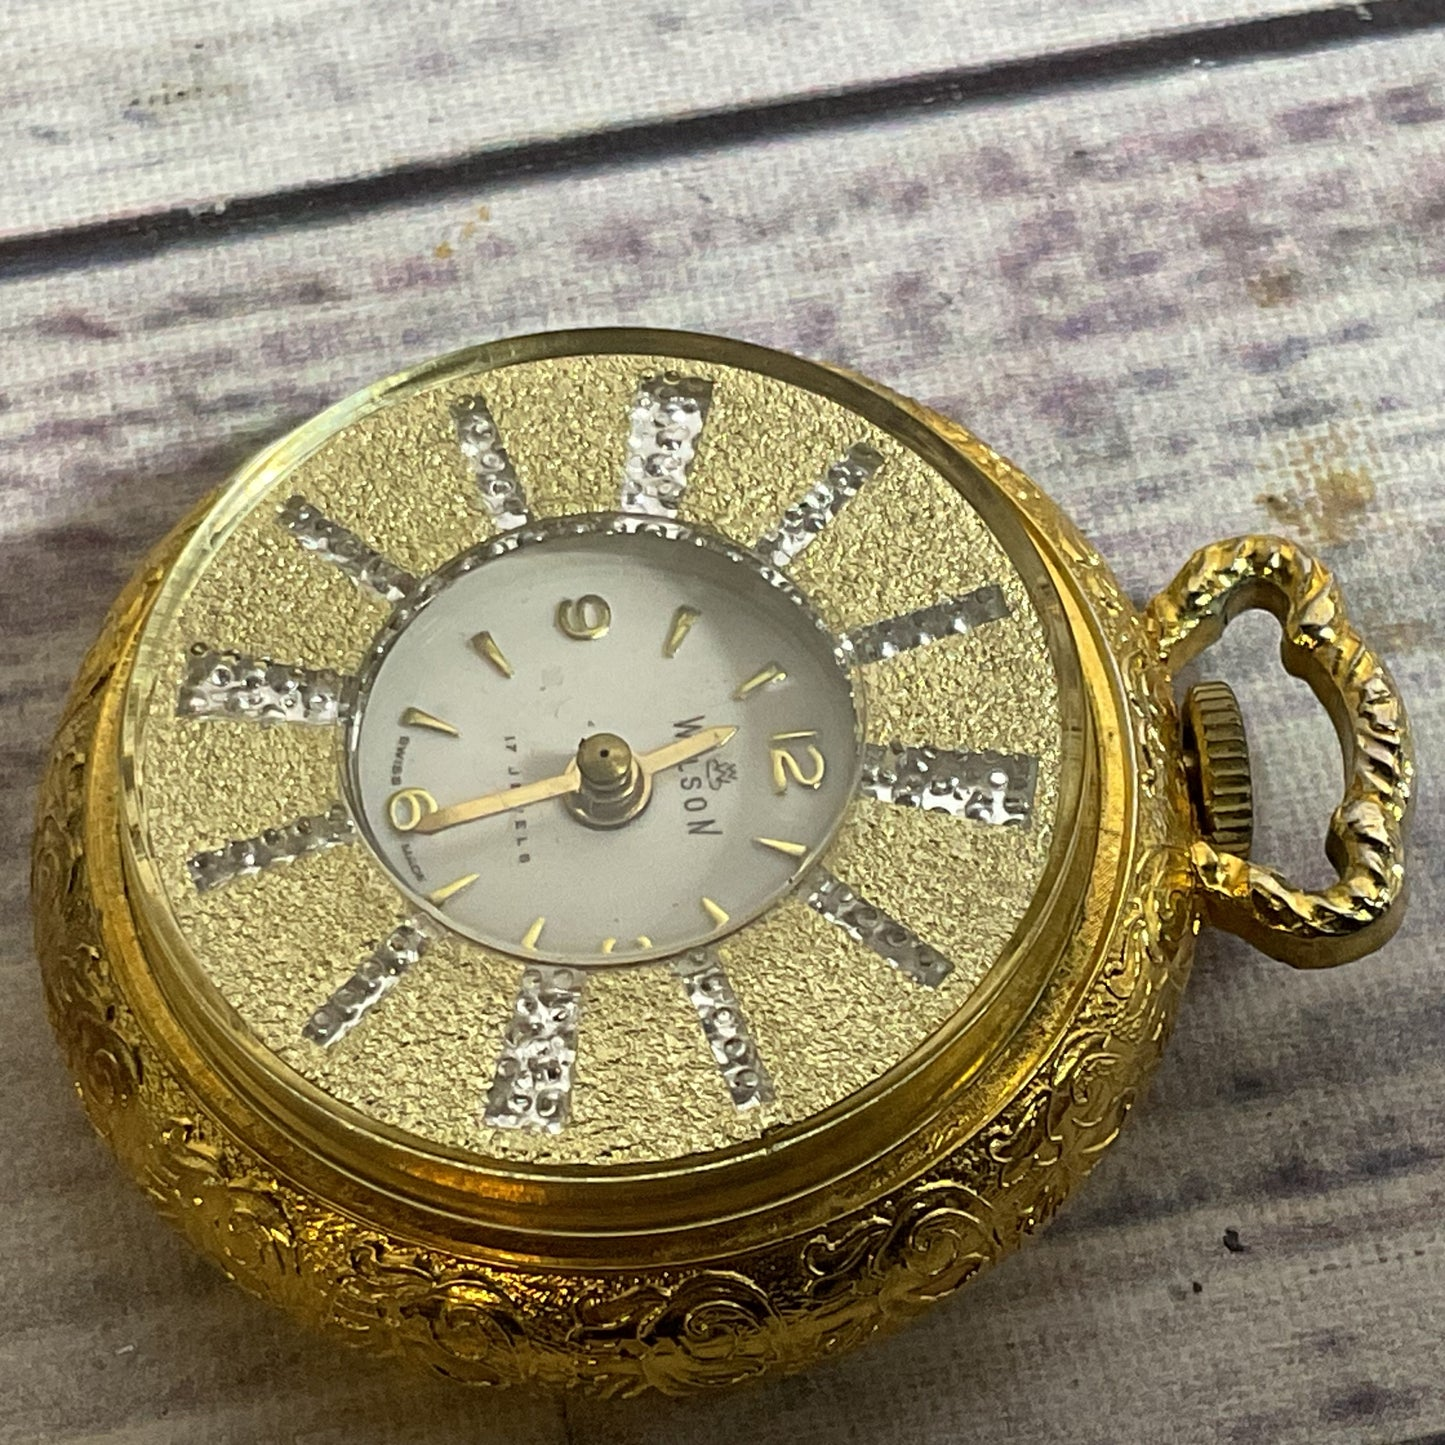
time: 7:40
